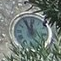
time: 11:54
